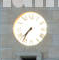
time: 7:36
